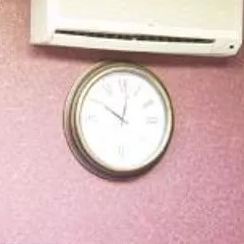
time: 10:01
